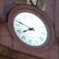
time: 7:47
